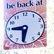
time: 8:31
